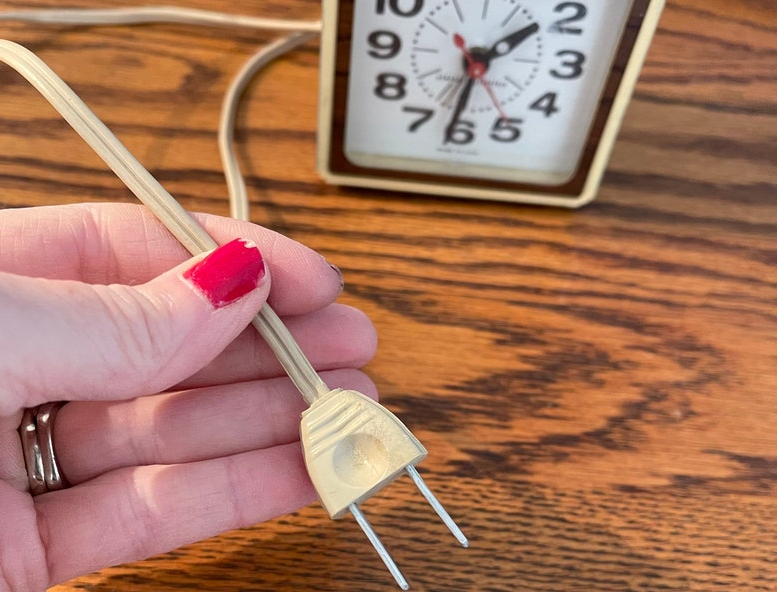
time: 1:32
